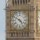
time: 4:50
